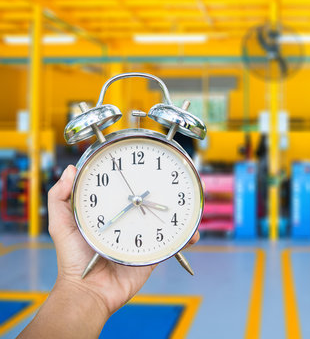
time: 3:38
